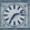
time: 7:12
